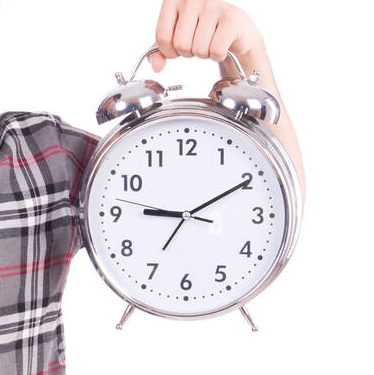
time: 9:10
